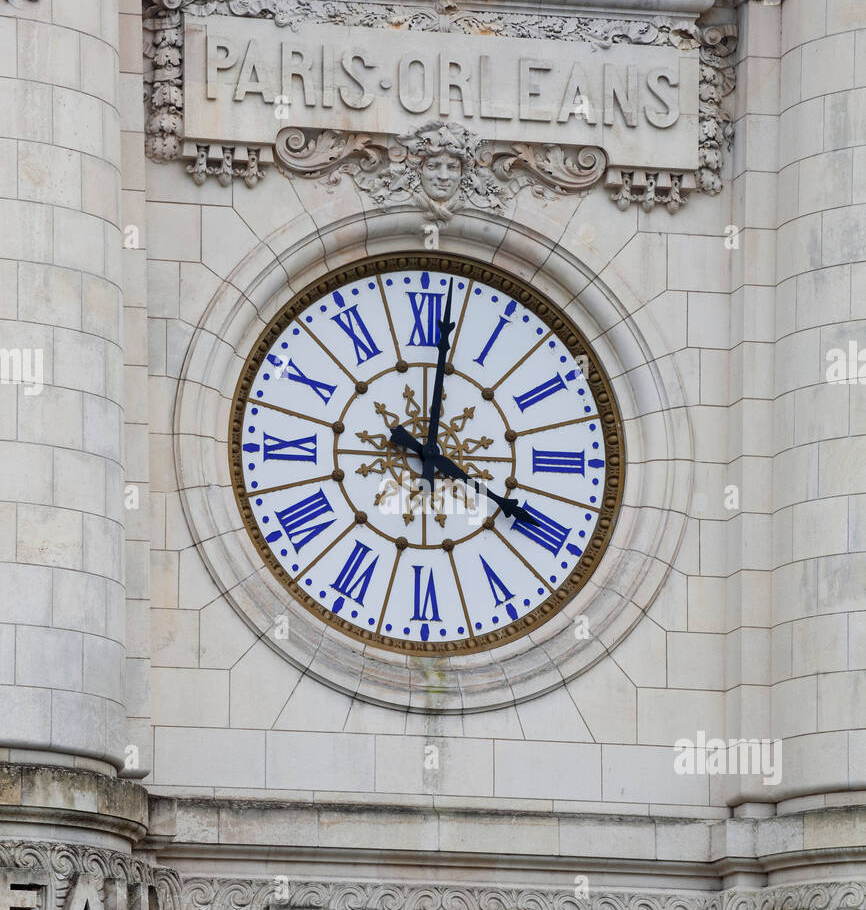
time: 4:01
